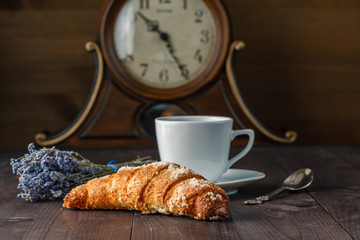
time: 10:24
